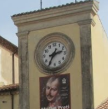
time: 2:35
